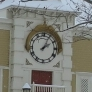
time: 2:04
